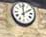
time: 1:59
